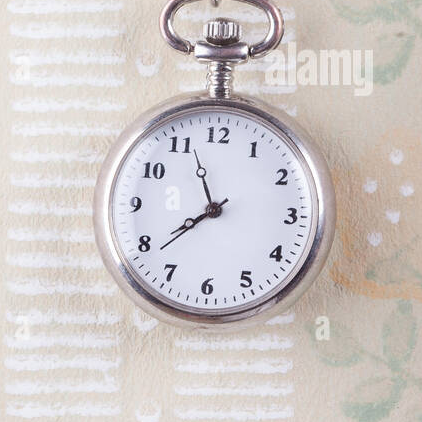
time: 7:56
